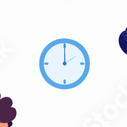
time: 1:59
